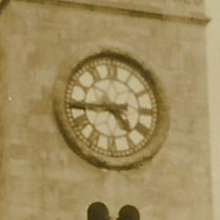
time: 4:43
